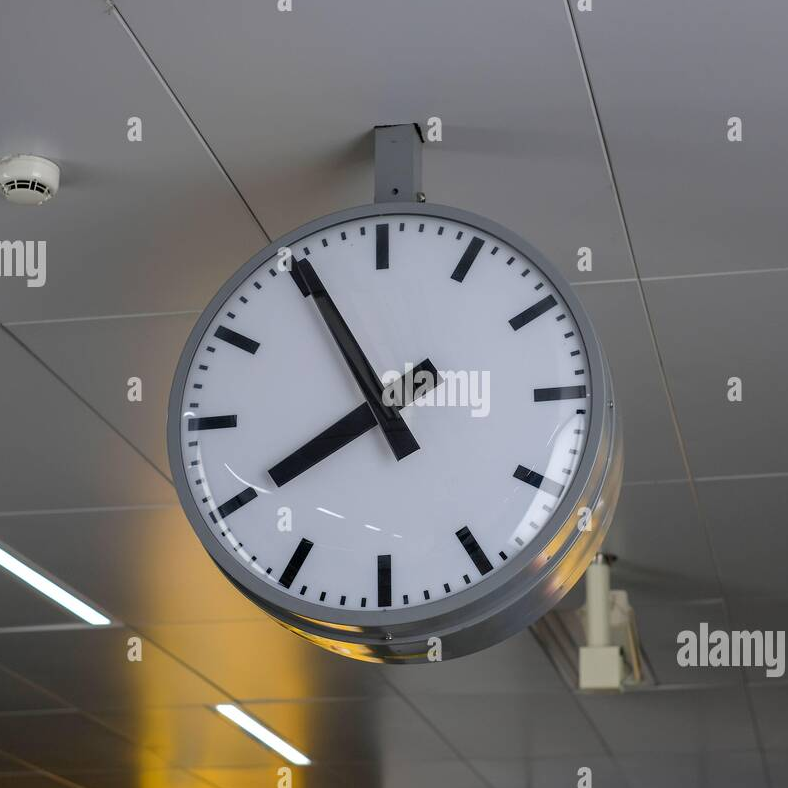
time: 7:55
